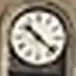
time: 10:21
